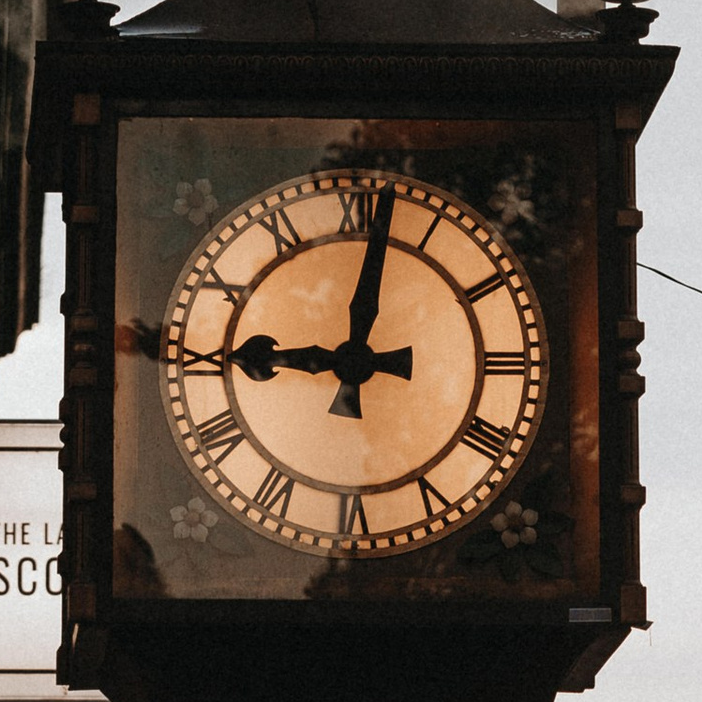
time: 9:01
